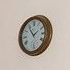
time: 1:54
